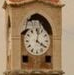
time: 4:02
